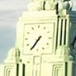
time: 7:35
